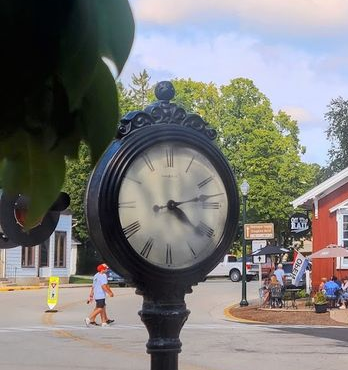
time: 4:13
